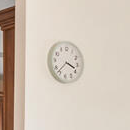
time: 3:37
